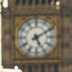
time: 5:09
